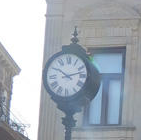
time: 10:12
